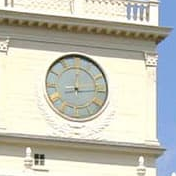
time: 12:14
